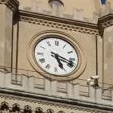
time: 5:18
